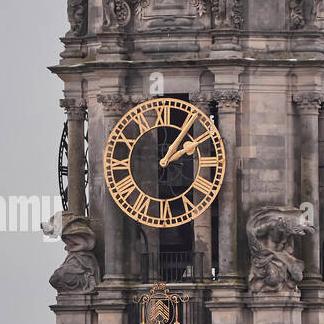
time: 2:06
